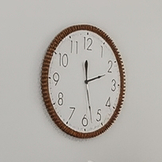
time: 2:27
